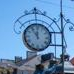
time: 11:54
